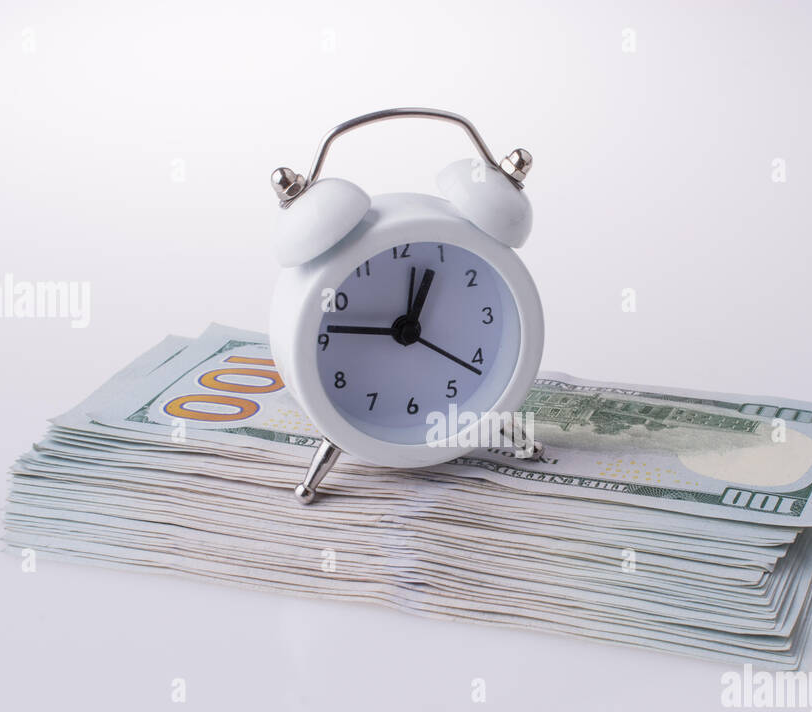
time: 12:46
